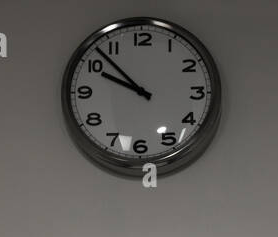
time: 9:52
